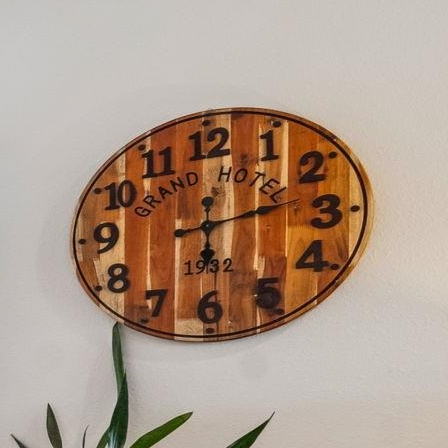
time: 12:13
